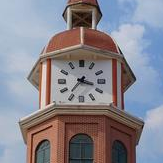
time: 3:36
